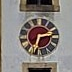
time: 2:33
